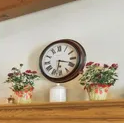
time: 3:32
